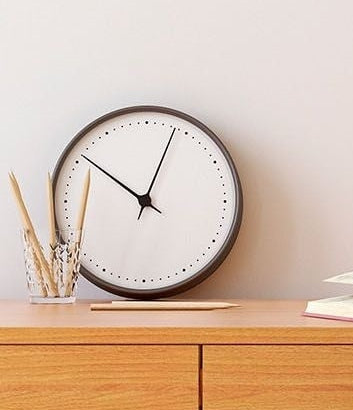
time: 10:03
